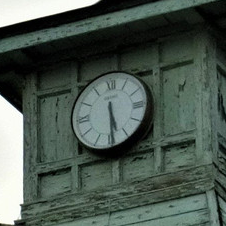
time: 5:29
